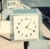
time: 1:19
